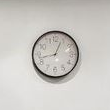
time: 12:42
